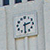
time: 2:30
